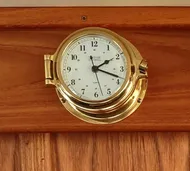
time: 2:18
